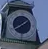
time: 1:39
